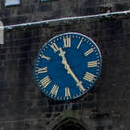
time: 11:24
